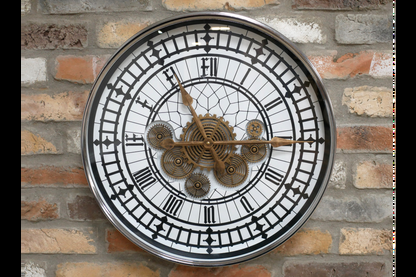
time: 11:14
